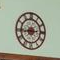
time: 2:44
